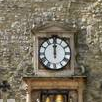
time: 12:00
